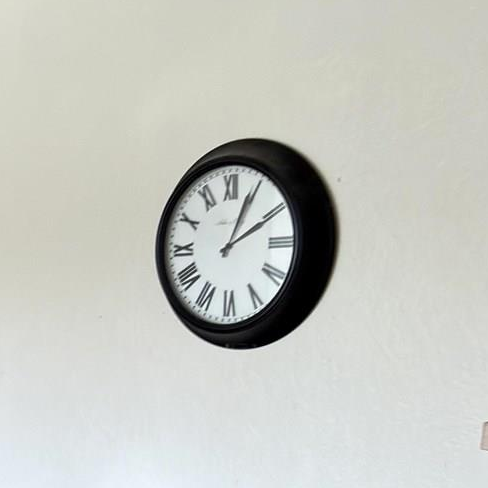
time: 2:04
